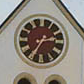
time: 2:35
